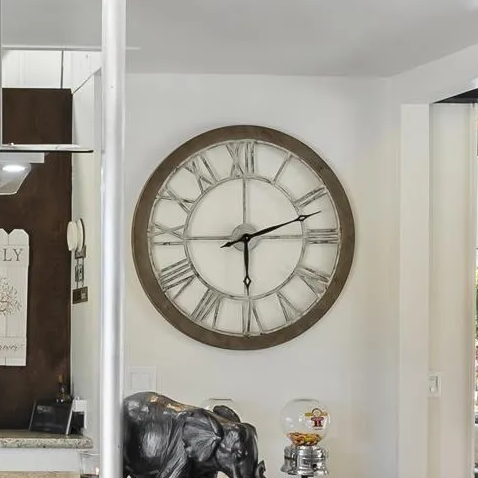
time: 2:29
